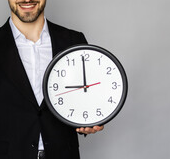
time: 8:59
